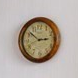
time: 2:51
